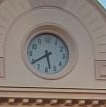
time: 5:39
